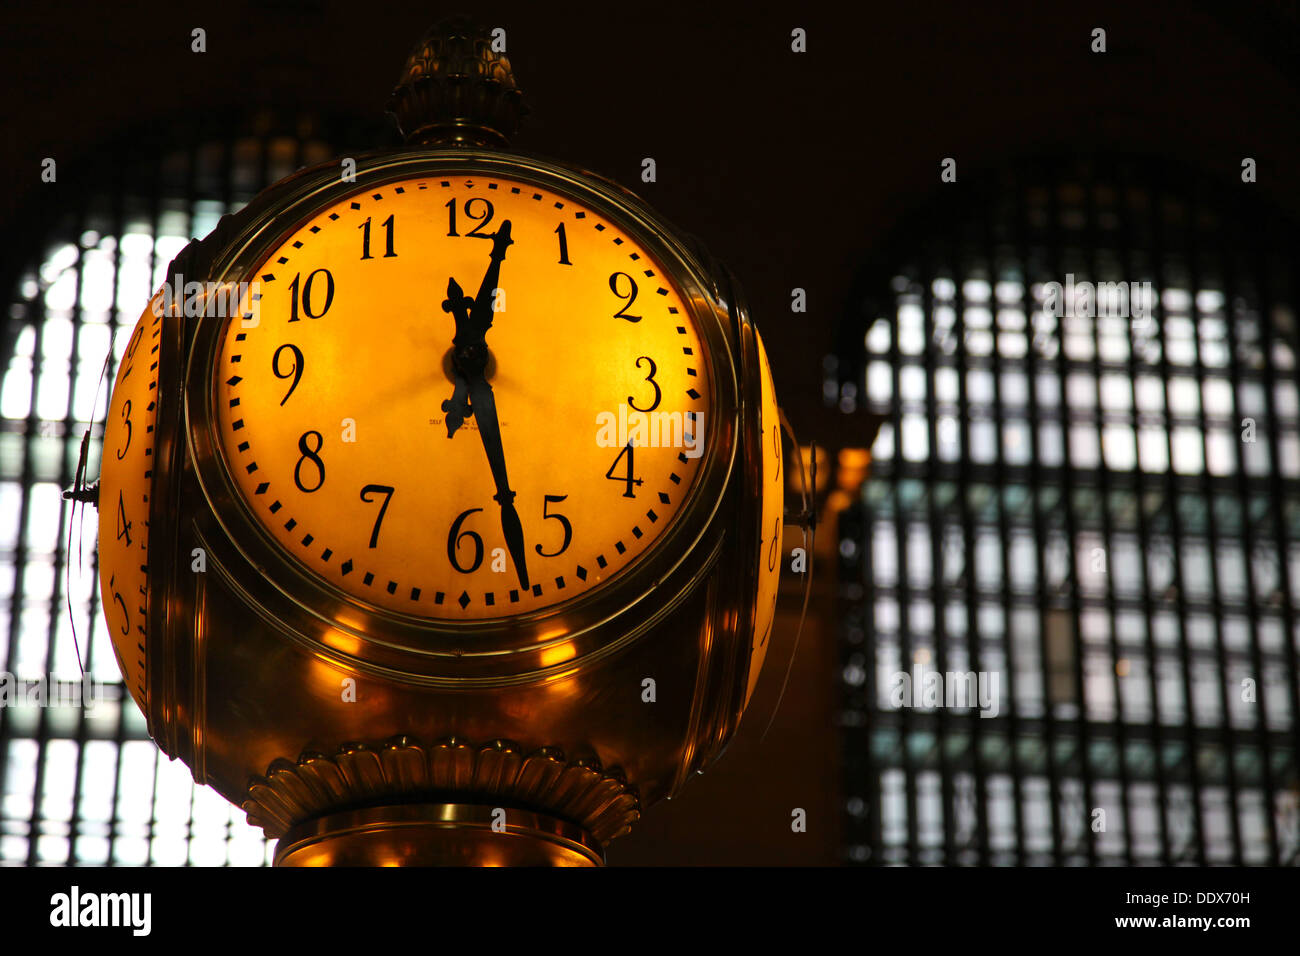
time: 12:27
